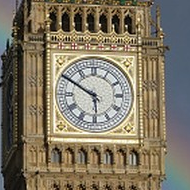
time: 5:50
